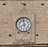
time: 7:58
